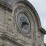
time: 2:36
